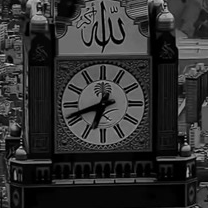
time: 6:41
